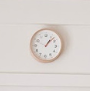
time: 1:07
